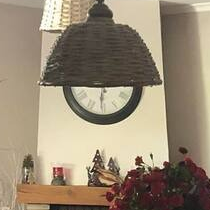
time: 6:14
